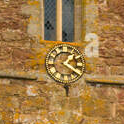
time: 1:20
